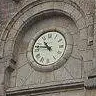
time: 10:47
